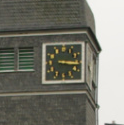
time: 3:16
